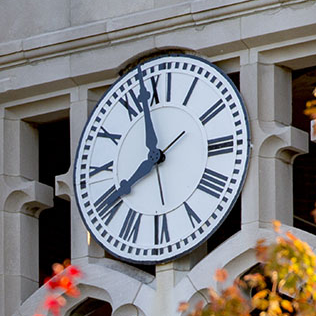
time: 7:57
